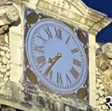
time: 7:35
